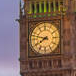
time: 7:47
